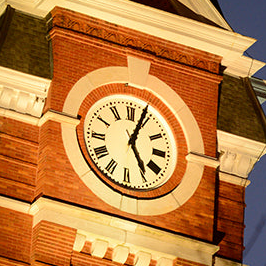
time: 5:03
